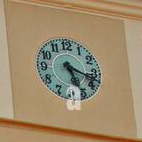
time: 5:18
